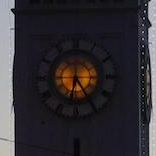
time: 6:24
